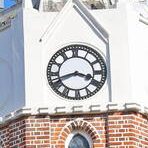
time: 3:41
